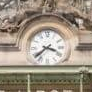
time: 3:37
